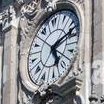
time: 5:12
